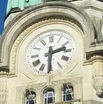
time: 2:30
